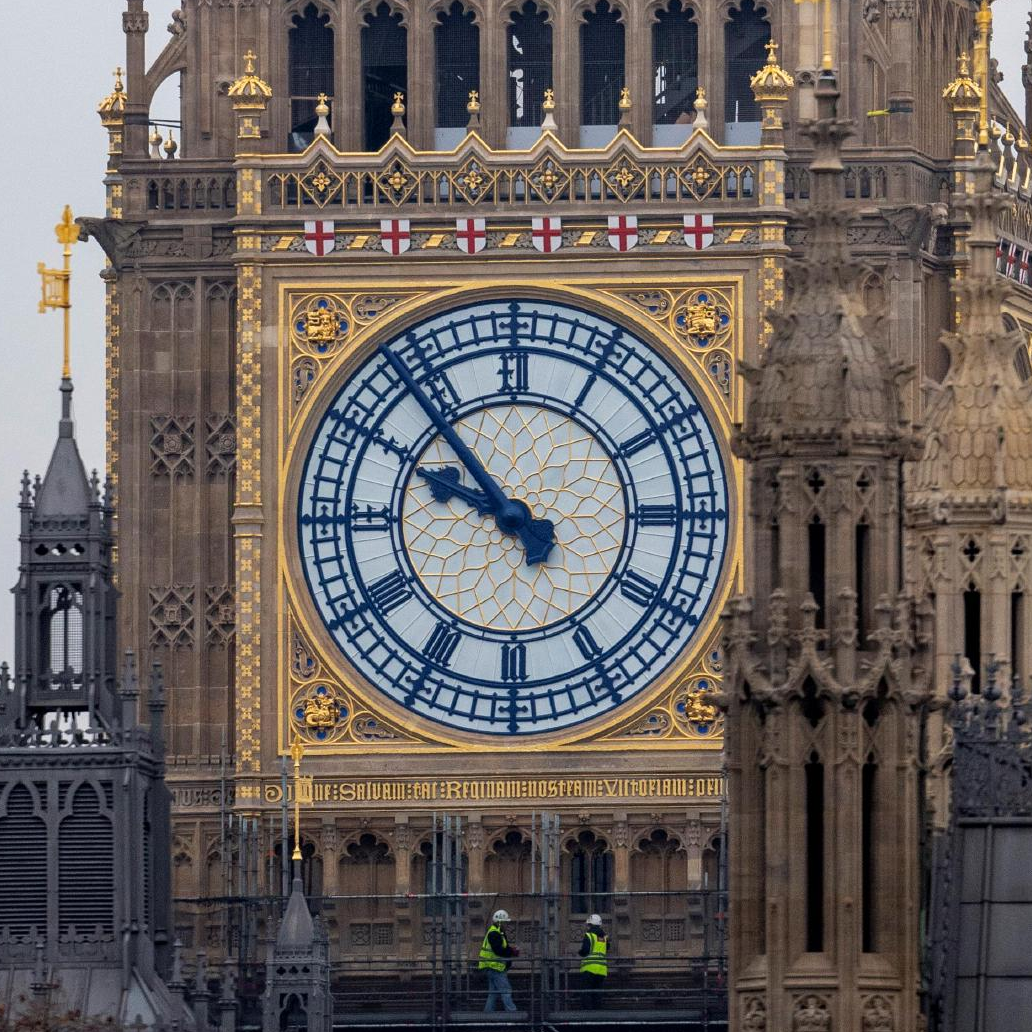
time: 9:53
